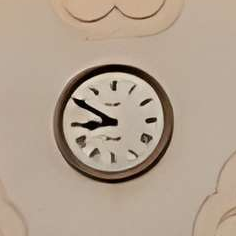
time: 8:50
